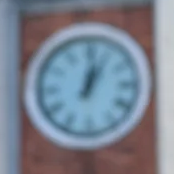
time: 1:01
